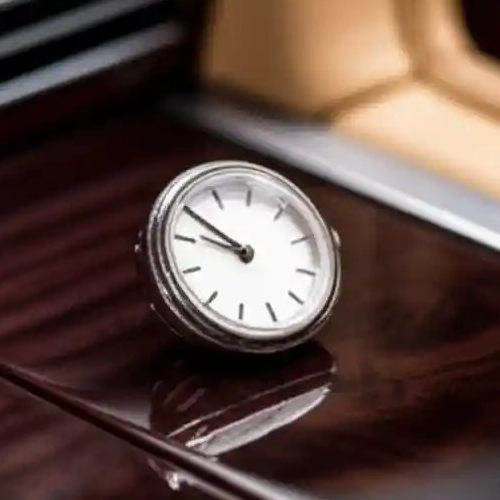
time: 8:49
